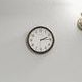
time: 2:14
